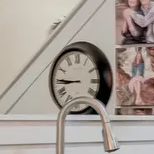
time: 8:45
